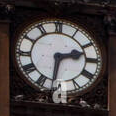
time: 2:31
